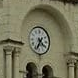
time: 4:34
